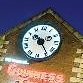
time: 10:24
